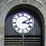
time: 3:10
